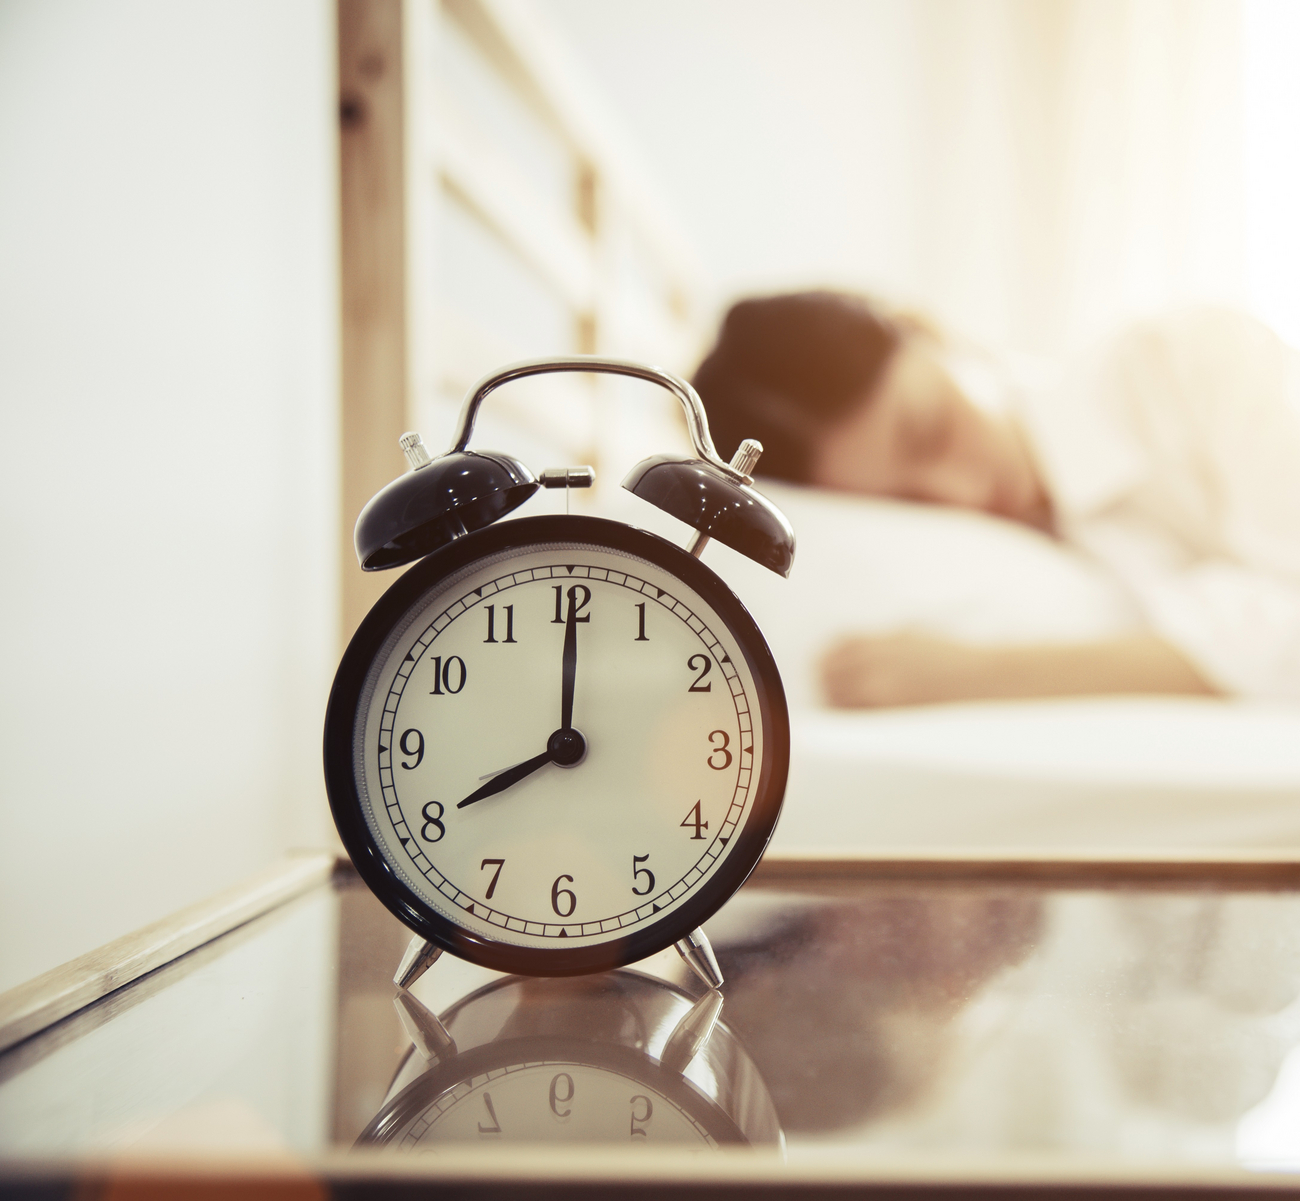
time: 8:00
